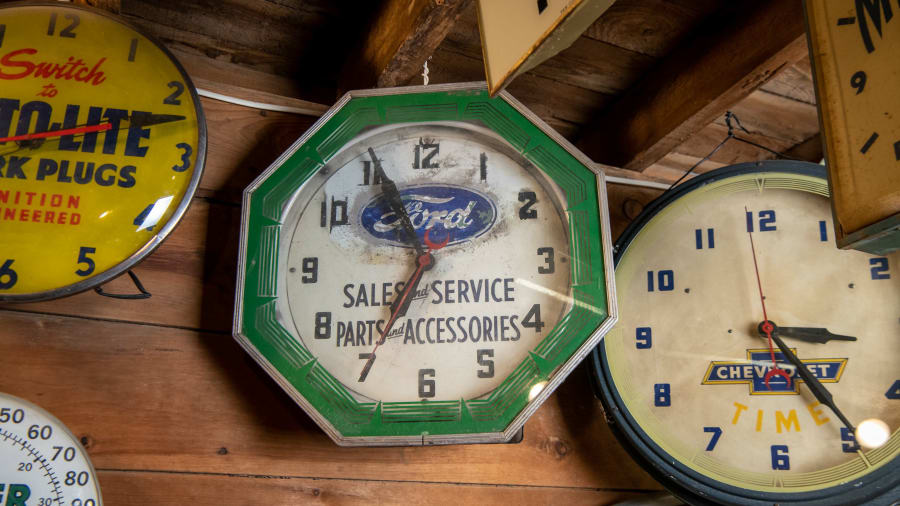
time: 6:55
